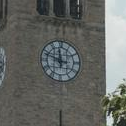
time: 11:48
